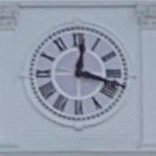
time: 12:17
